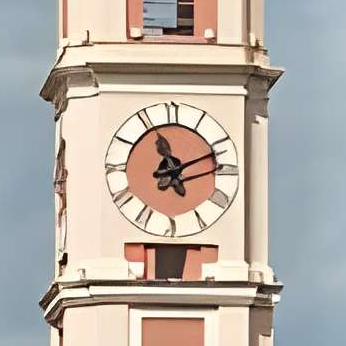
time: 11:11
